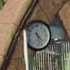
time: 4:27
